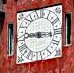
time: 9:15
